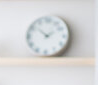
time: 1:51
